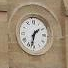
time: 1:32
